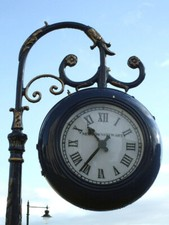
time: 10:36
